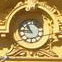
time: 10:45
